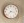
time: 3:37
